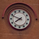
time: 7:49
